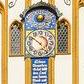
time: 4:51
